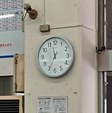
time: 11:34
